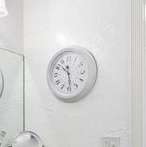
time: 10:28
